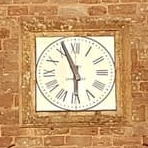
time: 5:56
